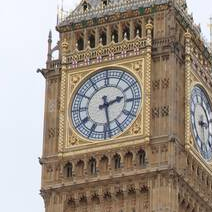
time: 2:28
